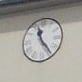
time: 11:23
